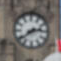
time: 2:39
